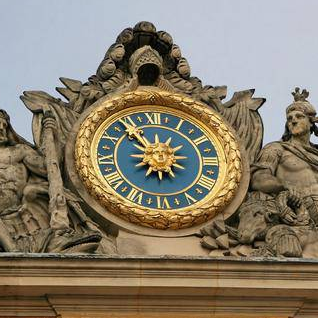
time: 11:53
